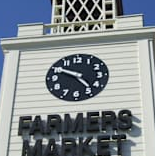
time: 4:49
